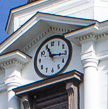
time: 11:15
